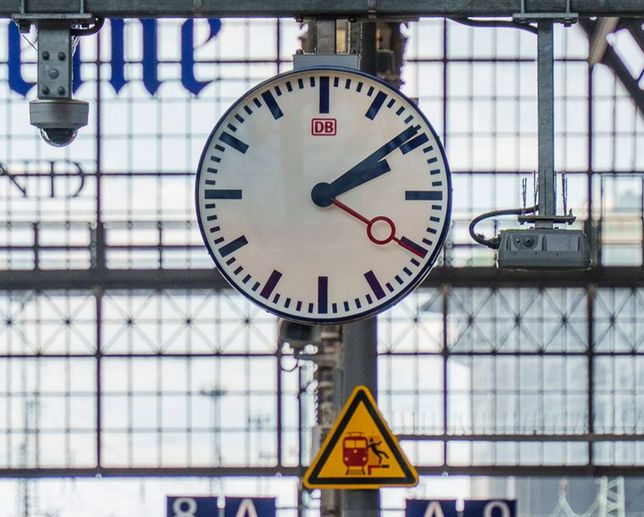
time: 2:09
